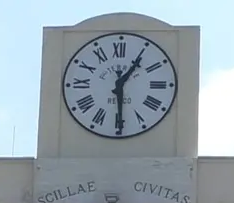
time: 1:29
